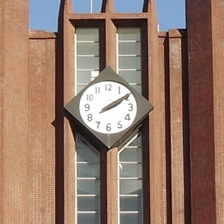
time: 2:09
